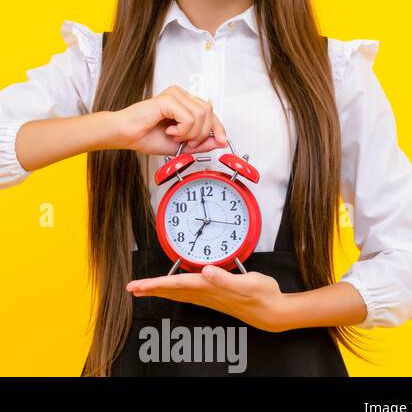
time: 6:58
